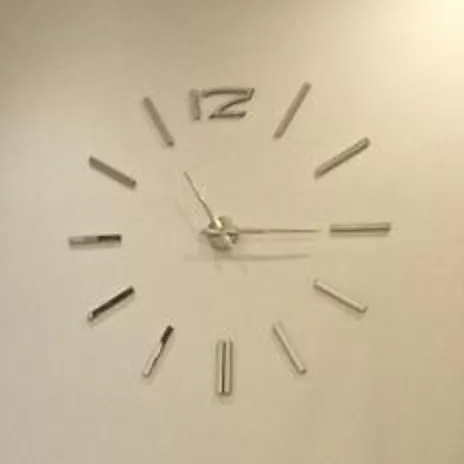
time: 11:14
